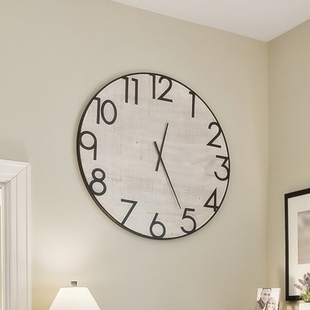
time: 12:24
